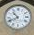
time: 10:41
